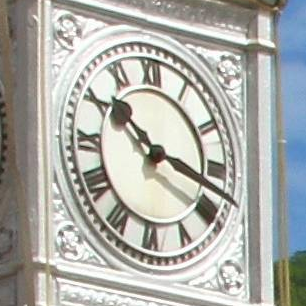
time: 10:17
